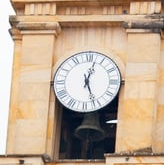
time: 12:26
